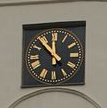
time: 11:52
